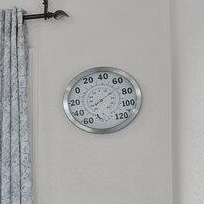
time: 8:07
